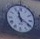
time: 11:19
